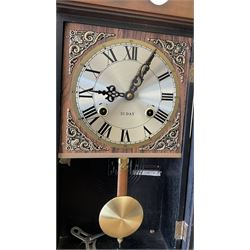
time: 9:05
